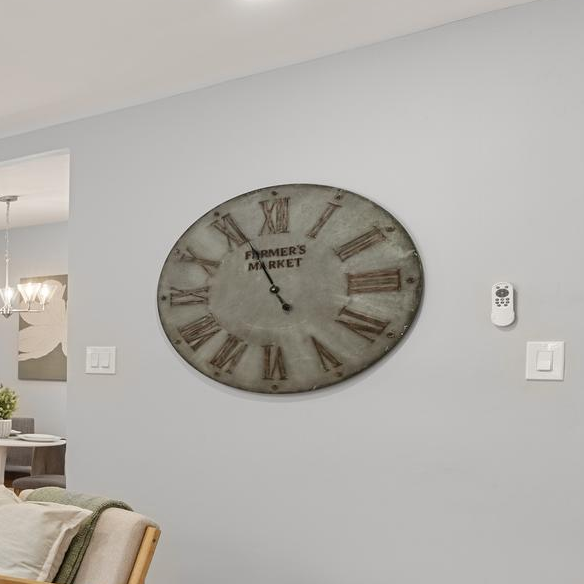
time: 12:55
